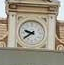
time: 9:39
